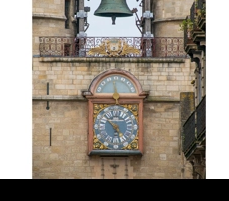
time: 4:52
